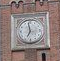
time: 6:58
